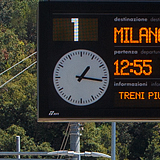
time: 1:16
